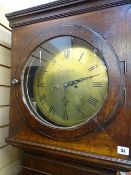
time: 6:12
